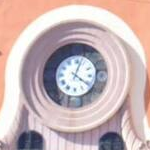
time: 4:03
